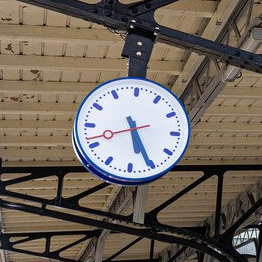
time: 5:25
